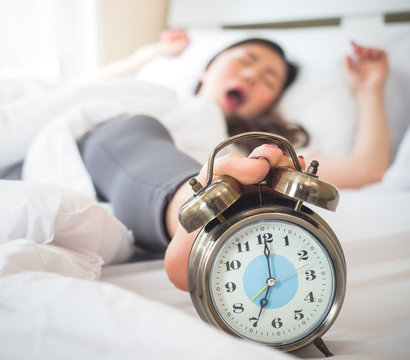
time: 7:00
